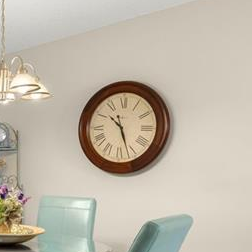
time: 10:26
